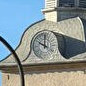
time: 10:00
